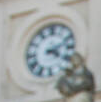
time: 4:12
